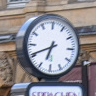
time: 6:40
